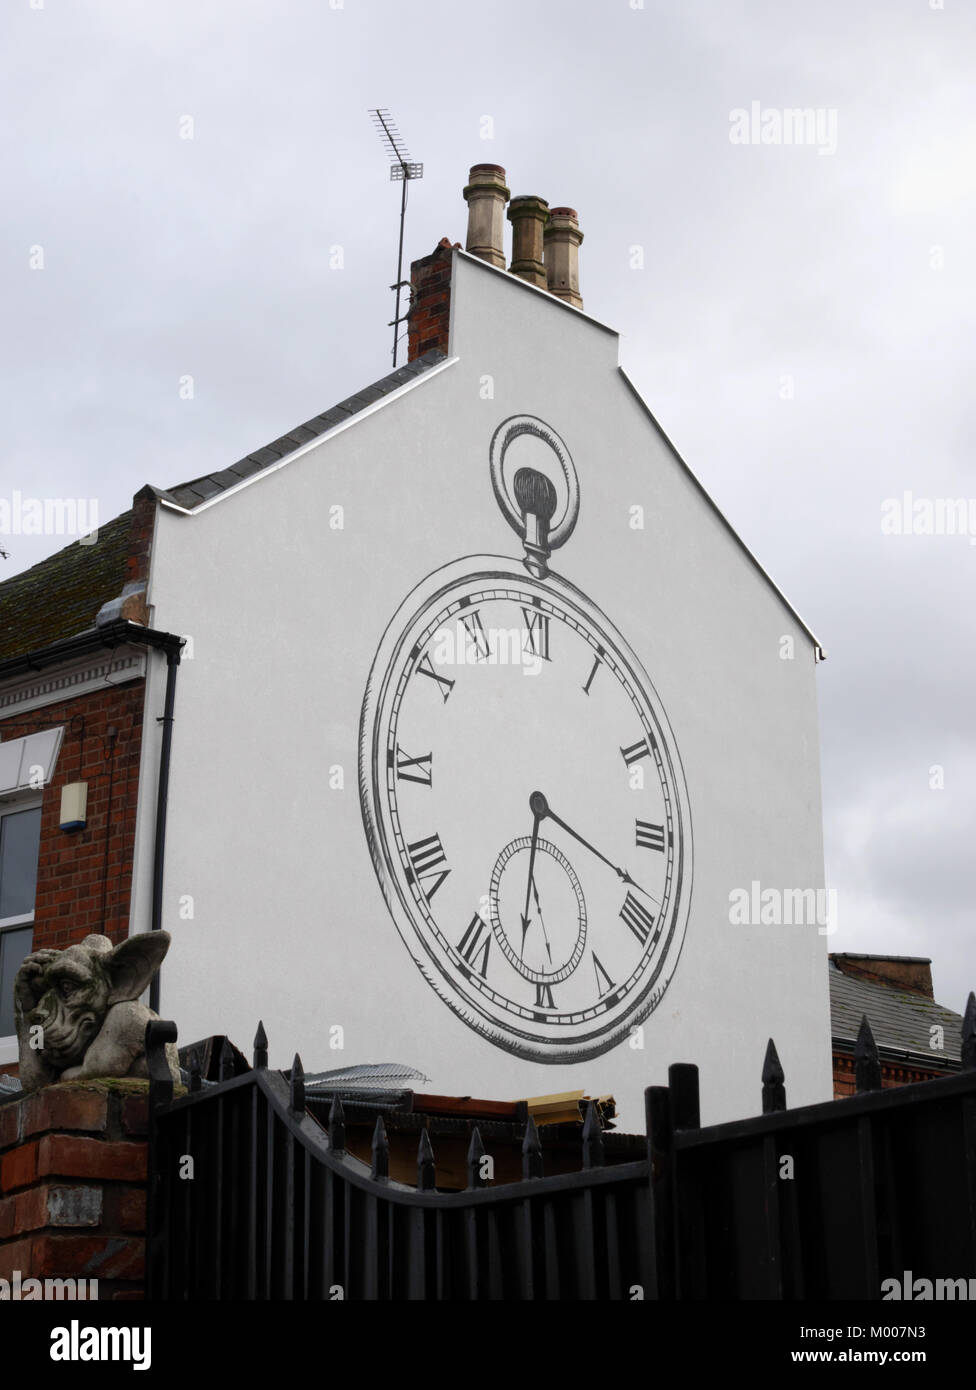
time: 6:18
